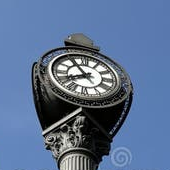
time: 7:54
